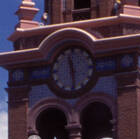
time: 11:28
